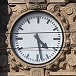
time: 4:28
